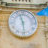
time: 11:28
